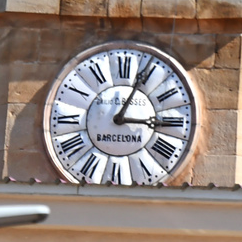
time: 3:04
